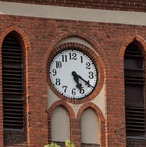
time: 5:20
